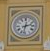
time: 2:32
